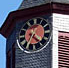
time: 4:35
